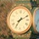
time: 7:10
